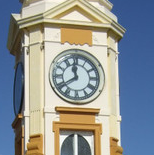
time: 11:40
